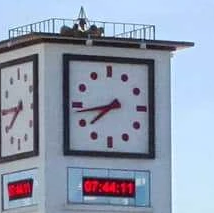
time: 7:43
